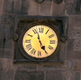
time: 4:57
